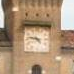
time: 4:47
